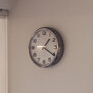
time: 1:20
